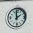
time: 1:59
